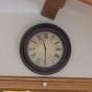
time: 11:29
